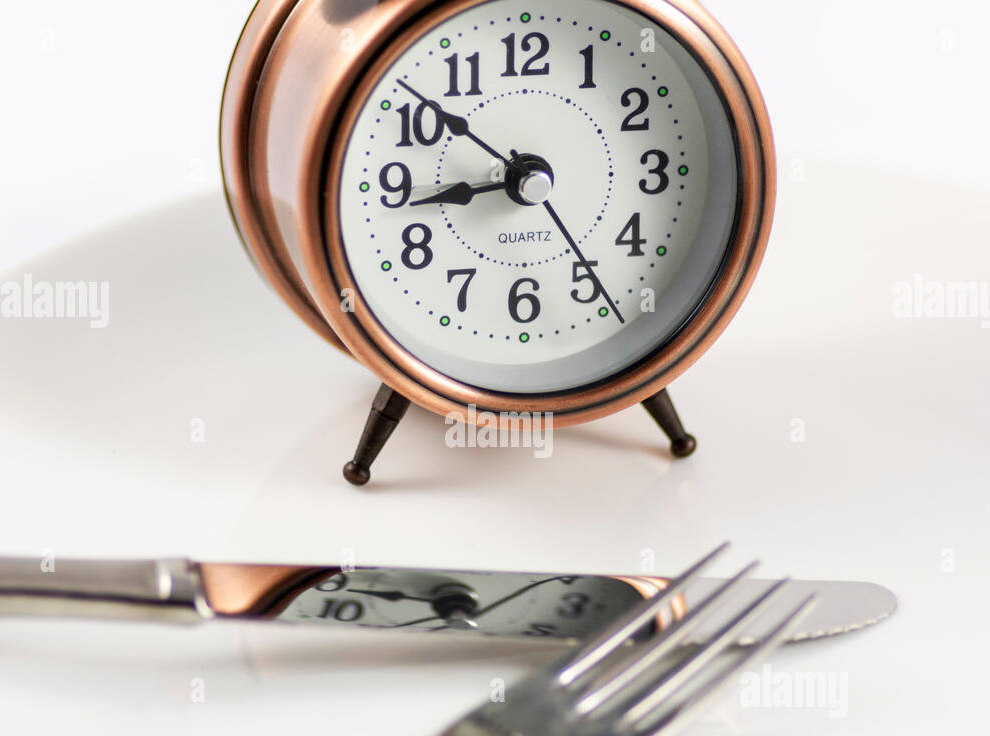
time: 8:51
